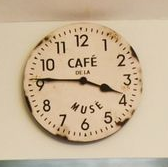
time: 3:45
